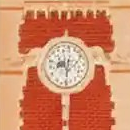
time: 8:30
